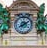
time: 8:09
